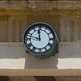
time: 11:47
